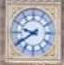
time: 9:39
